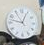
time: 12:47
